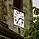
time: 2:36
